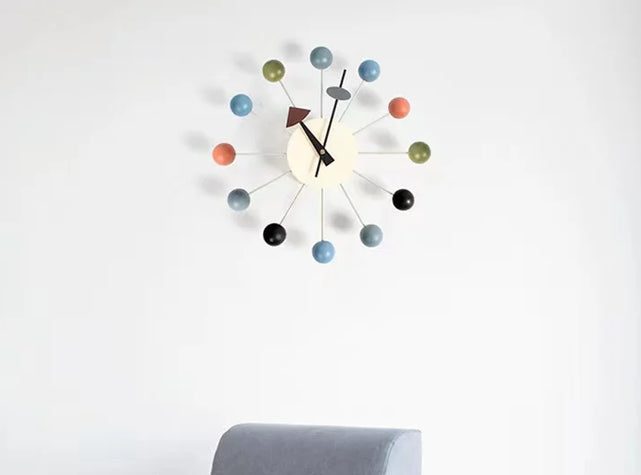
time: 11:03
